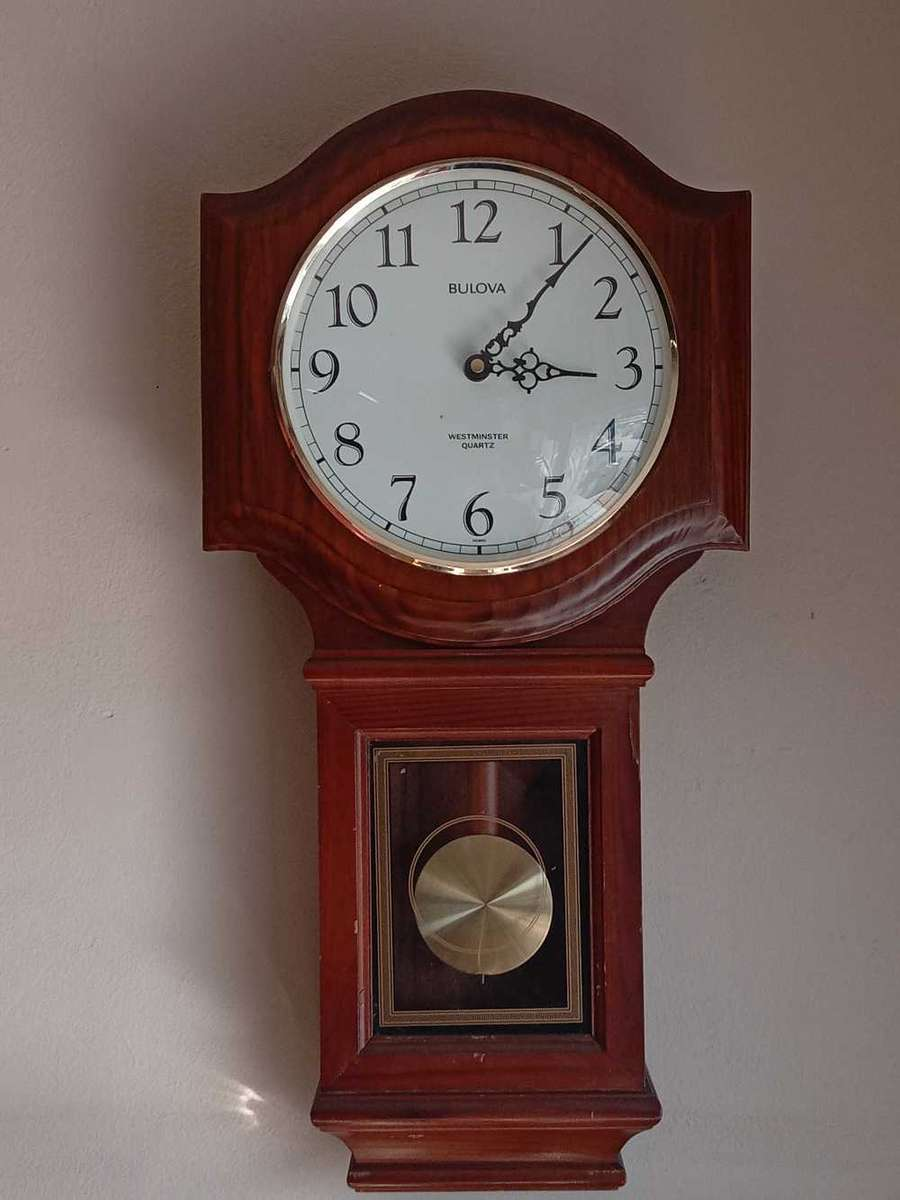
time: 3:06
